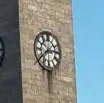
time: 2:38
